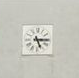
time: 5:15
